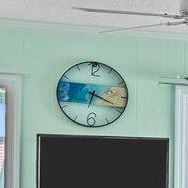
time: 6:18
